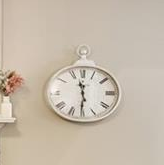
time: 11:30
